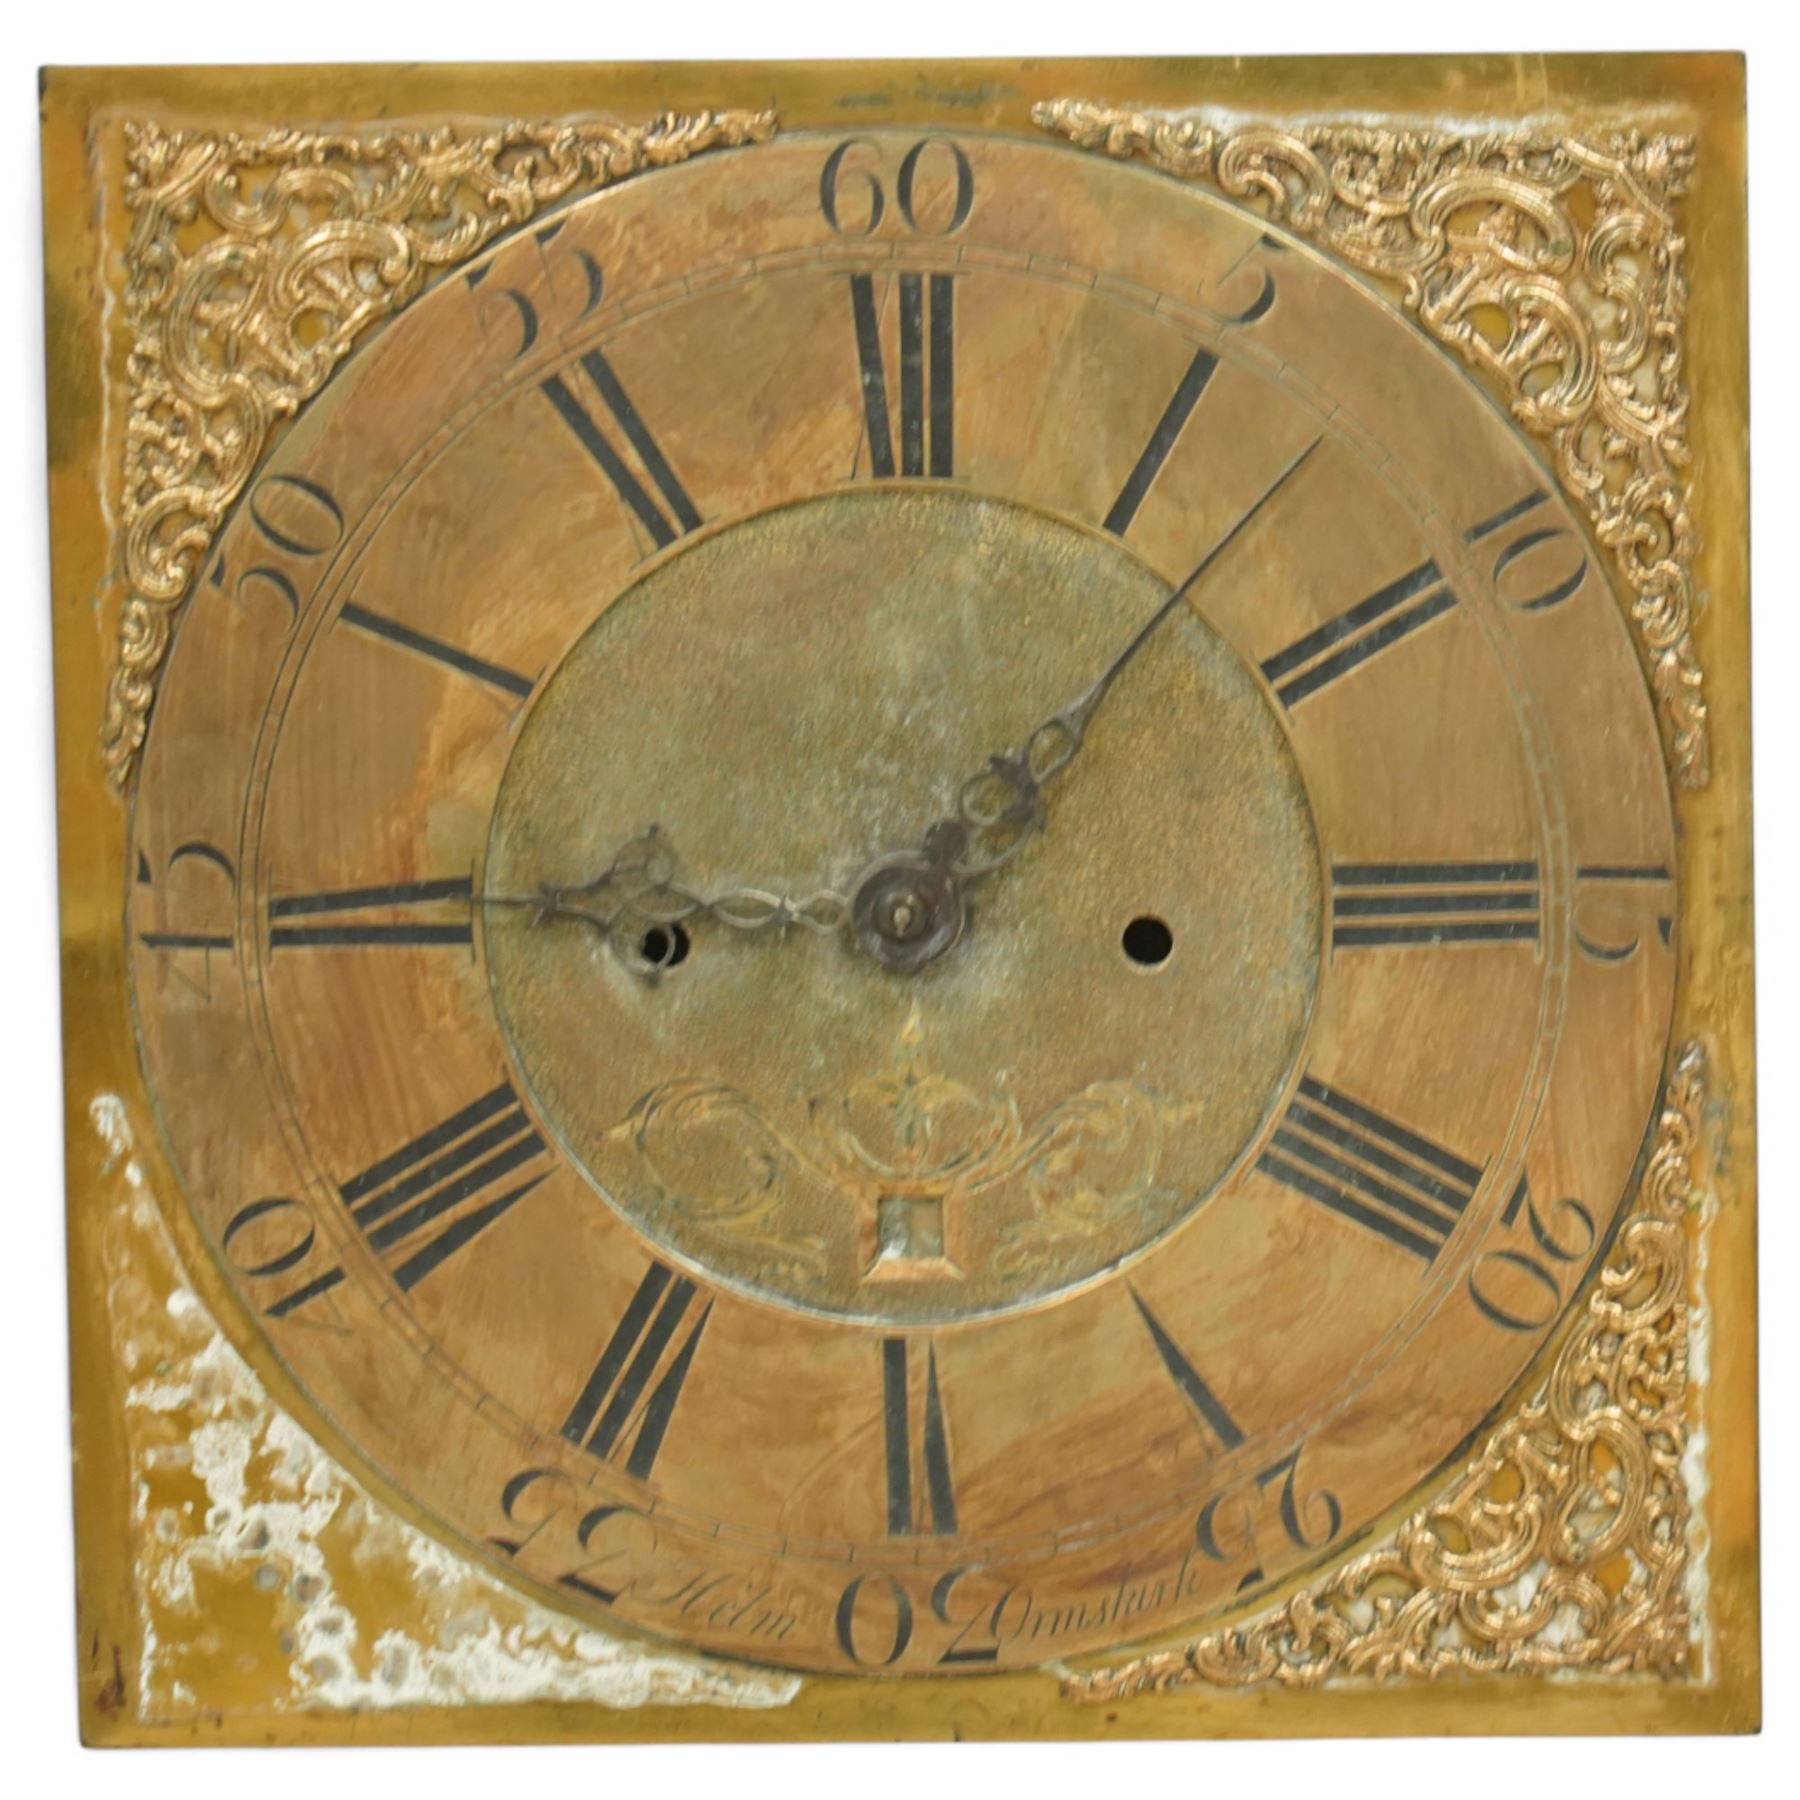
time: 9:07
